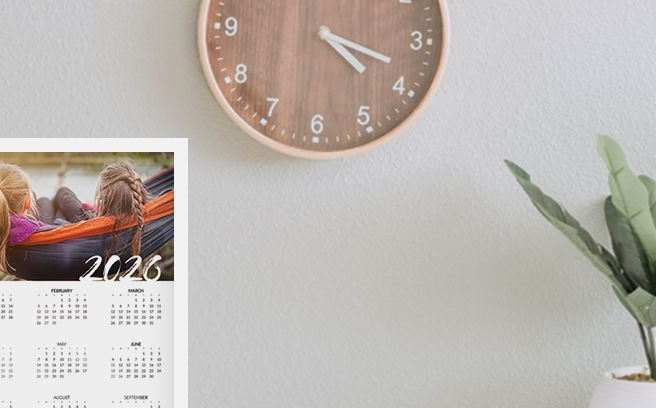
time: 4:18
